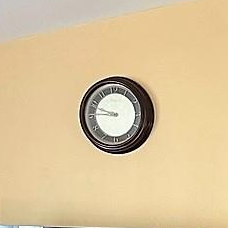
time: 9:45
